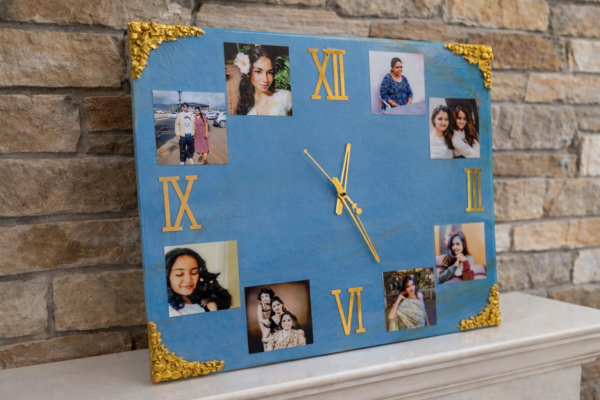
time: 12:26
